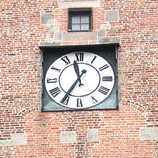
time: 11:35
